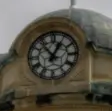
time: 12:53
